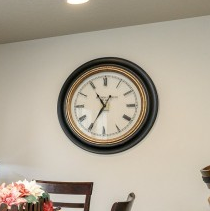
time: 10:35
